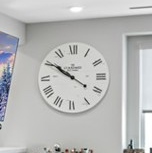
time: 9:50
